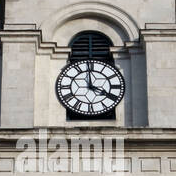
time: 3:59
